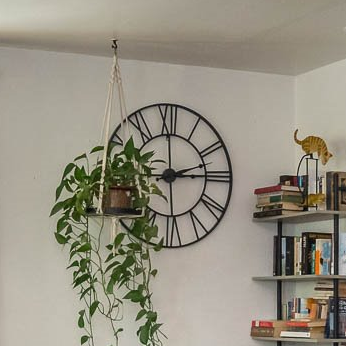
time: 2:14
